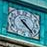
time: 4:22
